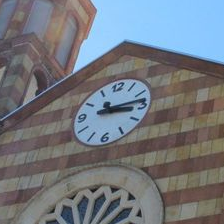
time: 3:13
